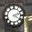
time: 4:12
